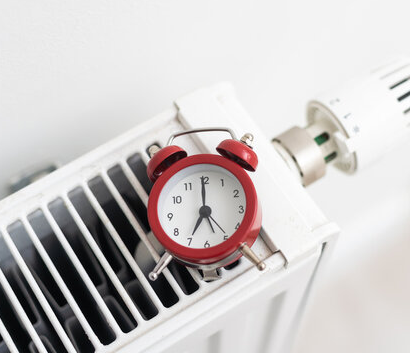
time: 7:00
